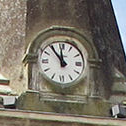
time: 11:53
